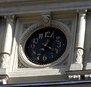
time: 4:04
